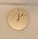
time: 12:07
